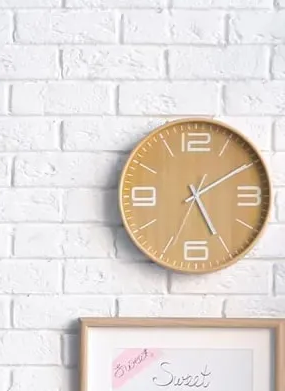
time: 5:09
